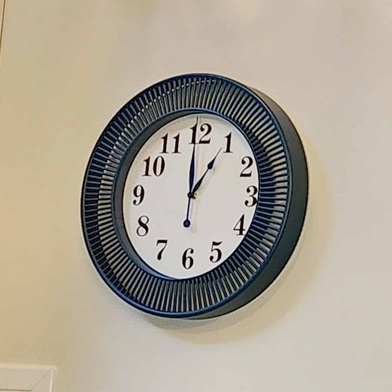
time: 12:59
